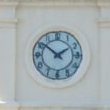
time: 1:51
